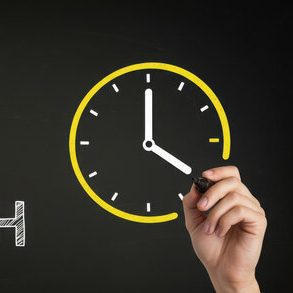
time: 4:00
